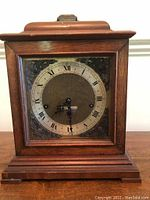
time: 7:29
